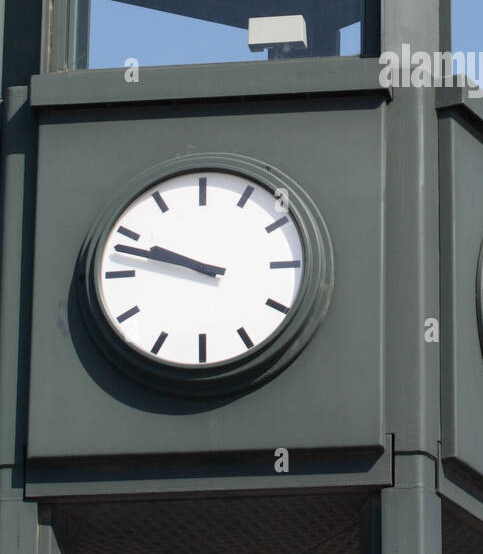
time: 9:47
